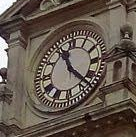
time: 11:22
